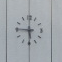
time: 5:45
